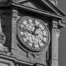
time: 12:46
